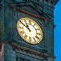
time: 10:50
